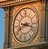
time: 8:17
